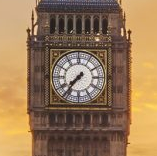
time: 7:36
